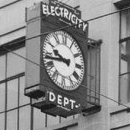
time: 9:43
